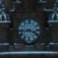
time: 3:43
